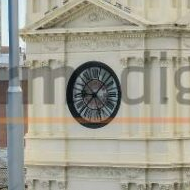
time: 9:07
